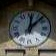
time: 12:07
